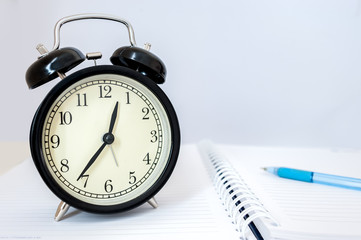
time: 12:36
